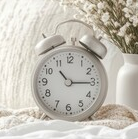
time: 10:14
